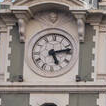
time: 5:12
